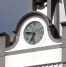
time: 6:46
